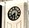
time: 7:30
